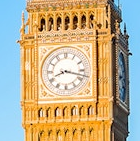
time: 8:17
